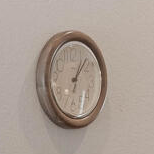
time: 1:07
